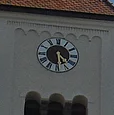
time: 4:29
